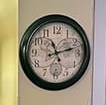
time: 11:12
